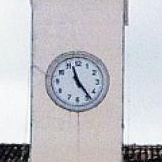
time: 11:23
